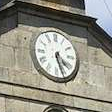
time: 4:26
